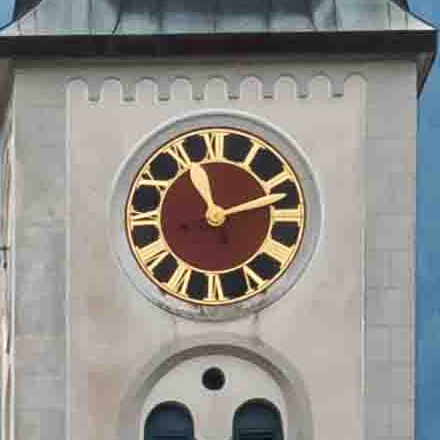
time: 11:11
